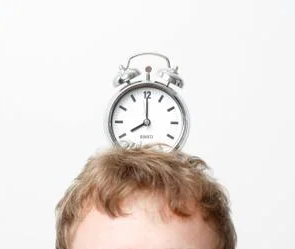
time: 8:00
